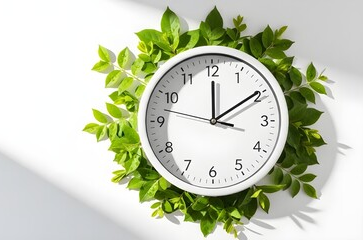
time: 12:09
